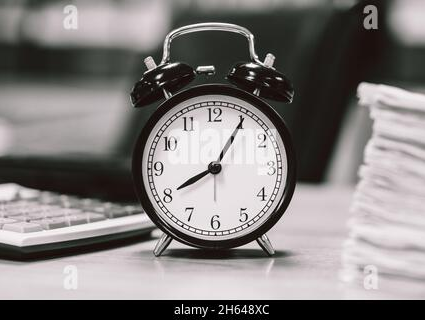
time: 8:05
